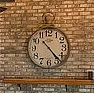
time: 10:23
